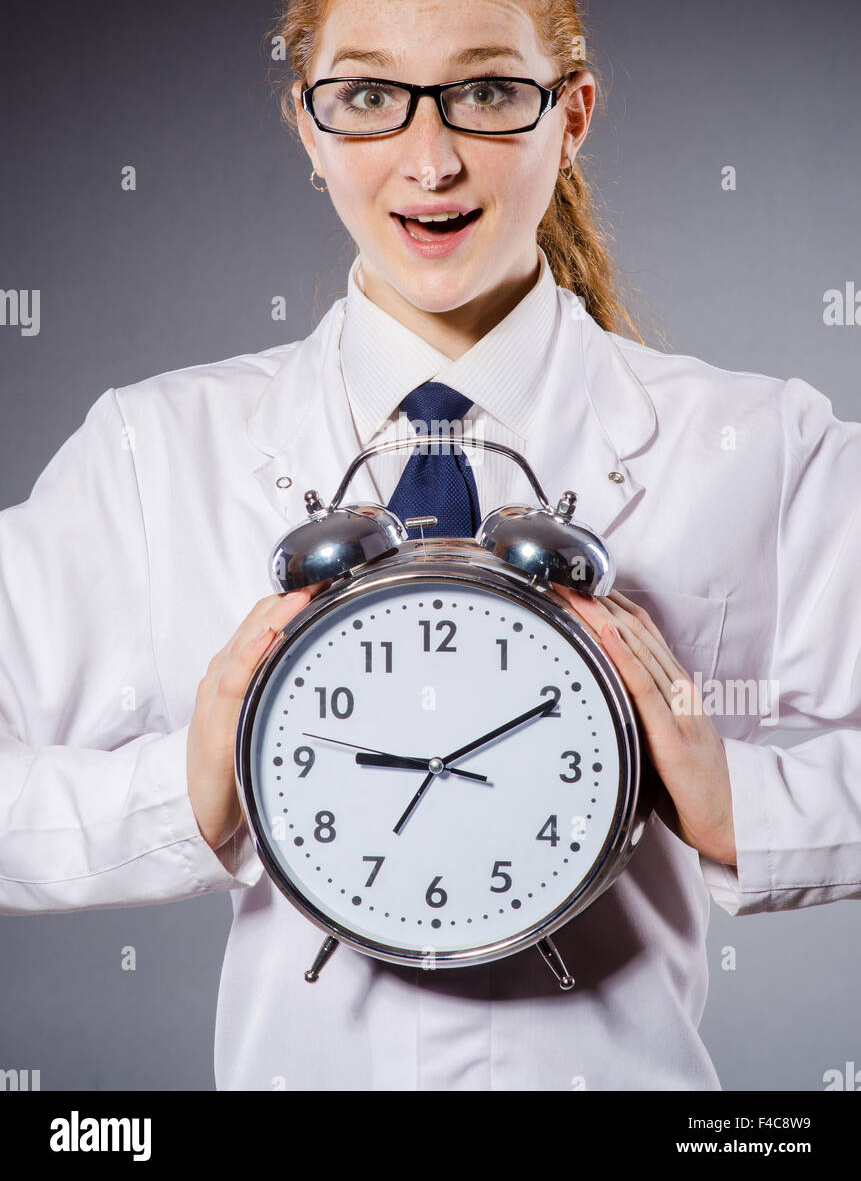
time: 9:10
